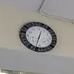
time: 12:32
